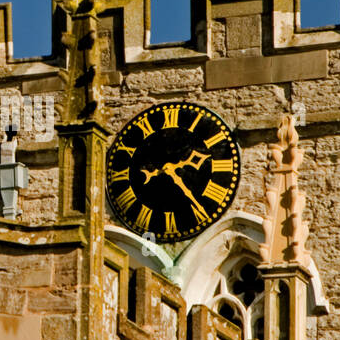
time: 2:23
